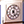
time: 5:03
